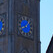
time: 8:07
